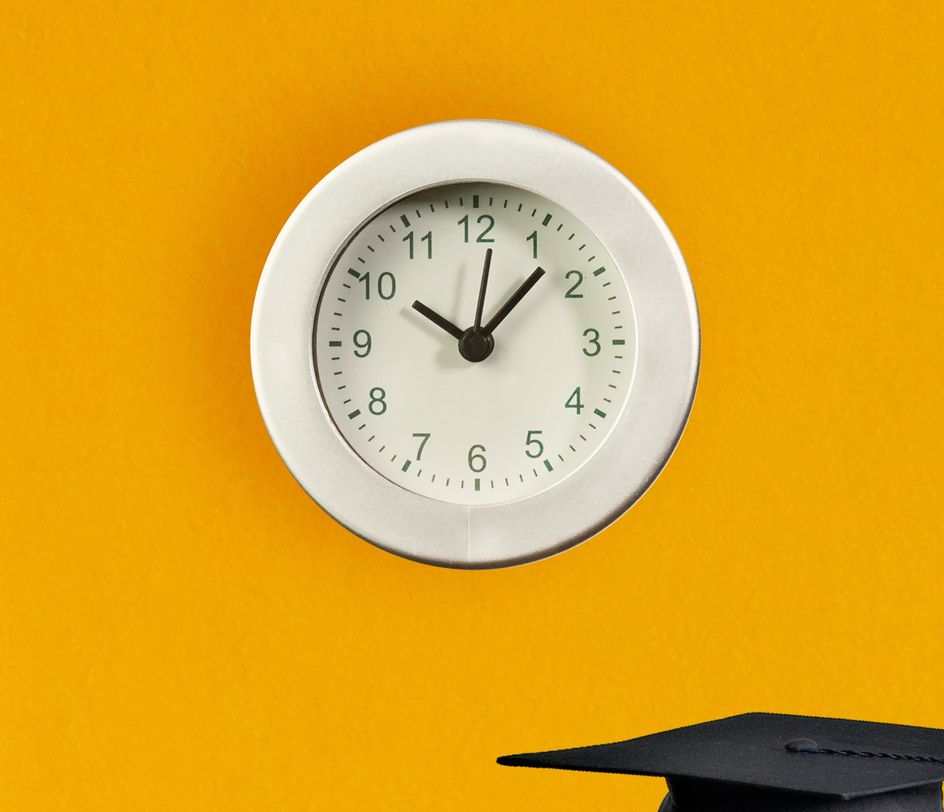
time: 10:07
